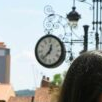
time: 12:37
